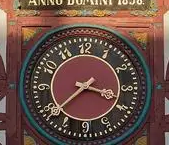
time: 3:38
